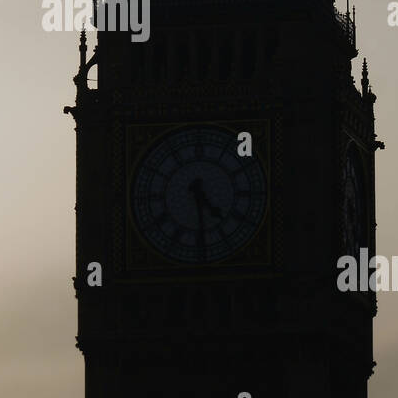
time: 4:29
